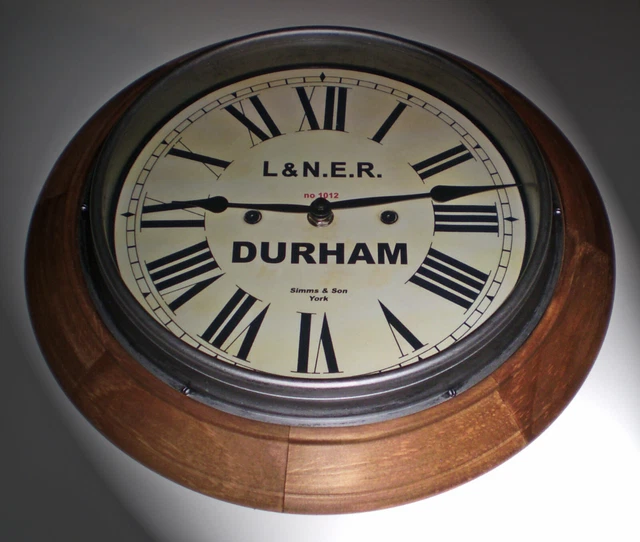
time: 2:45
